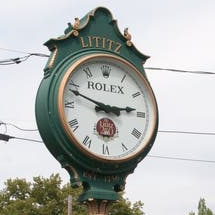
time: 2:48
